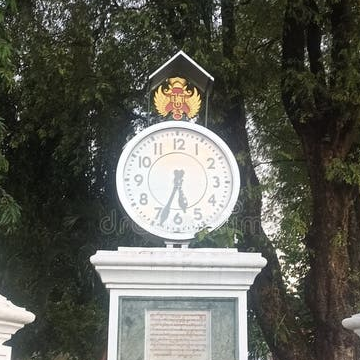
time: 5:33
